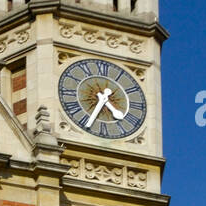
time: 4:34
